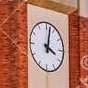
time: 4:02
